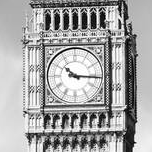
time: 10:15
